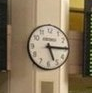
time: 5:14
